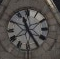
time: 11:24
